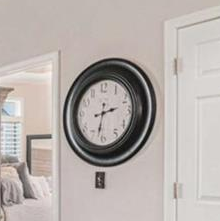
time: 2:32
